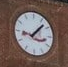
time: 9:07
